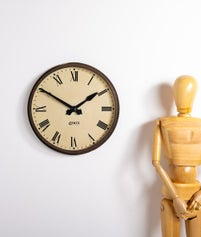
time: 1:50
